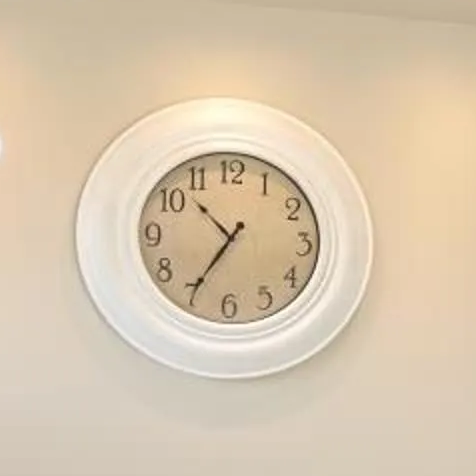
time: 10:35
